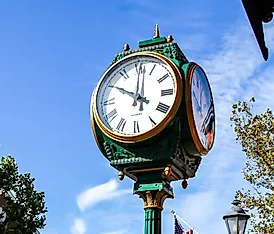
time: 10:00
